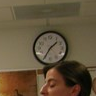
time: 1:34
